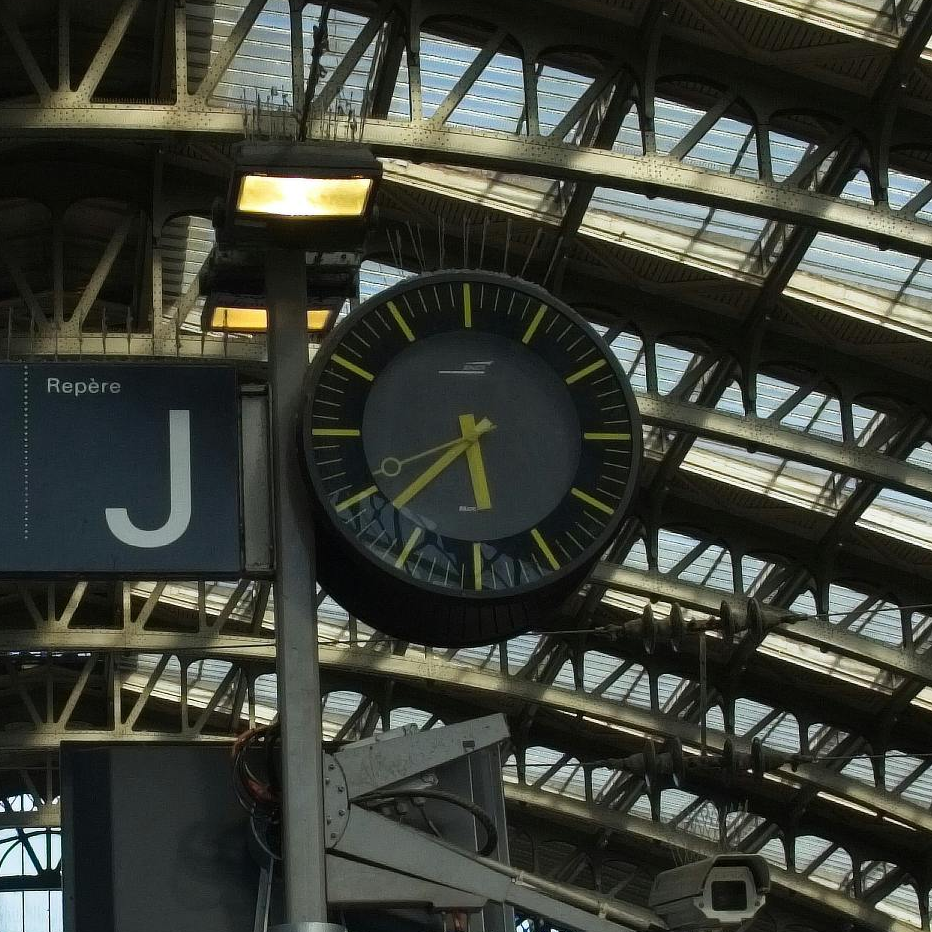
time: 5:37
